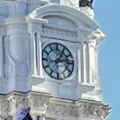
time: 1:13
